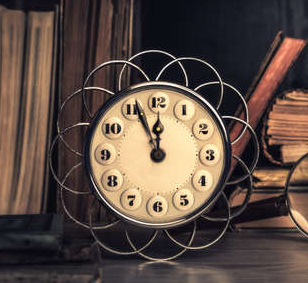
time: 11:56
